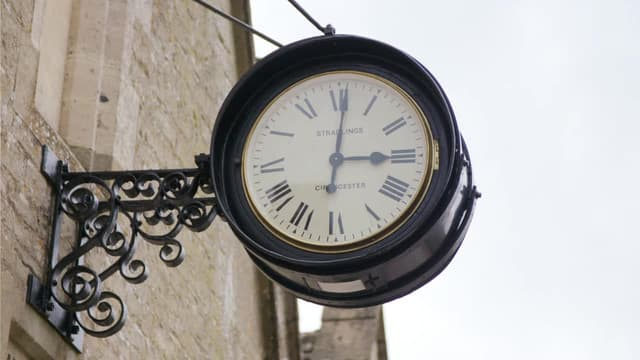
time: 3:01
